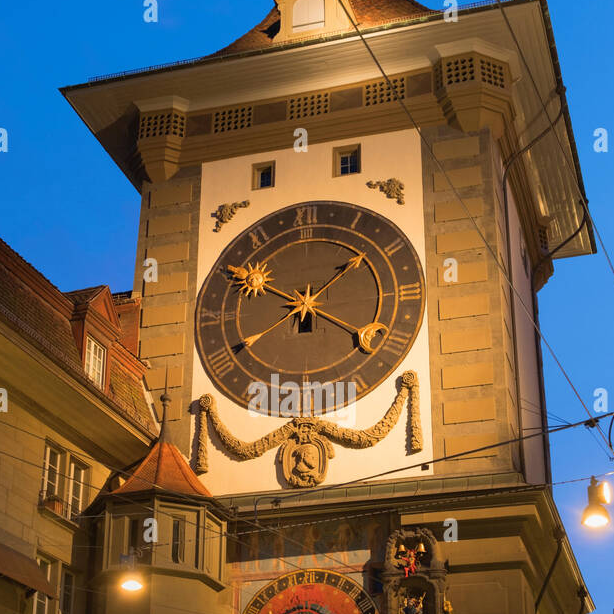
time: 1:50
